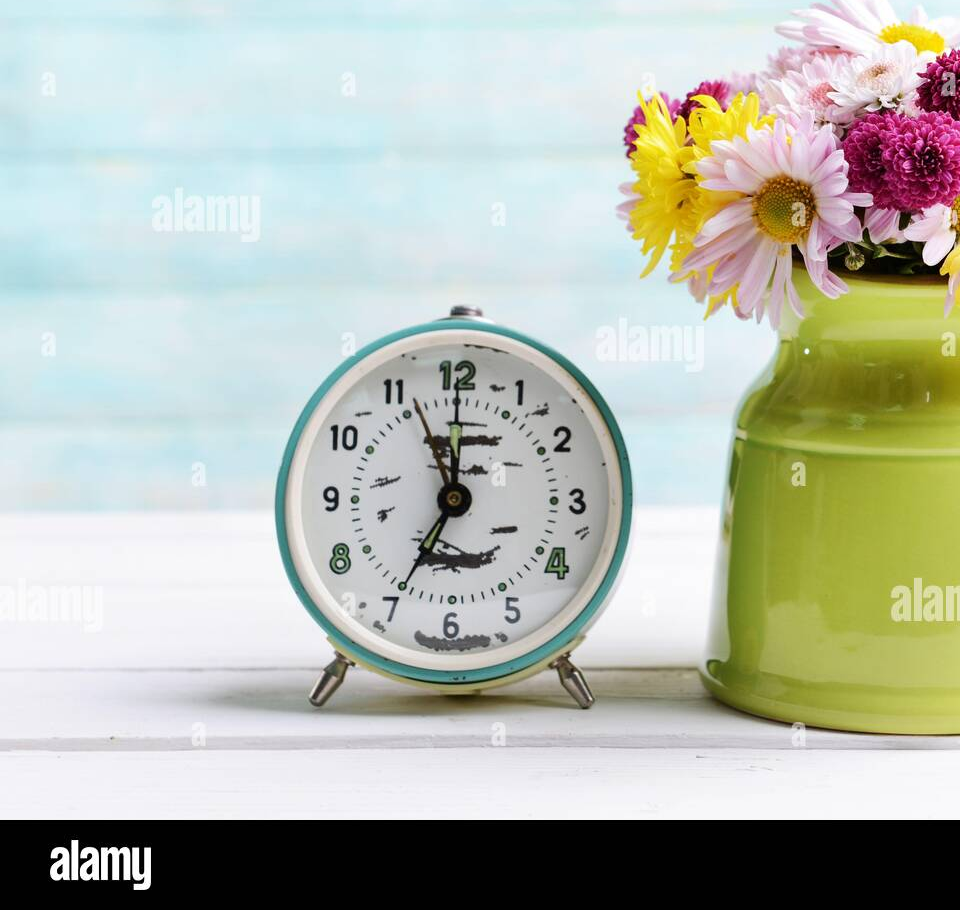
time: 11:34
